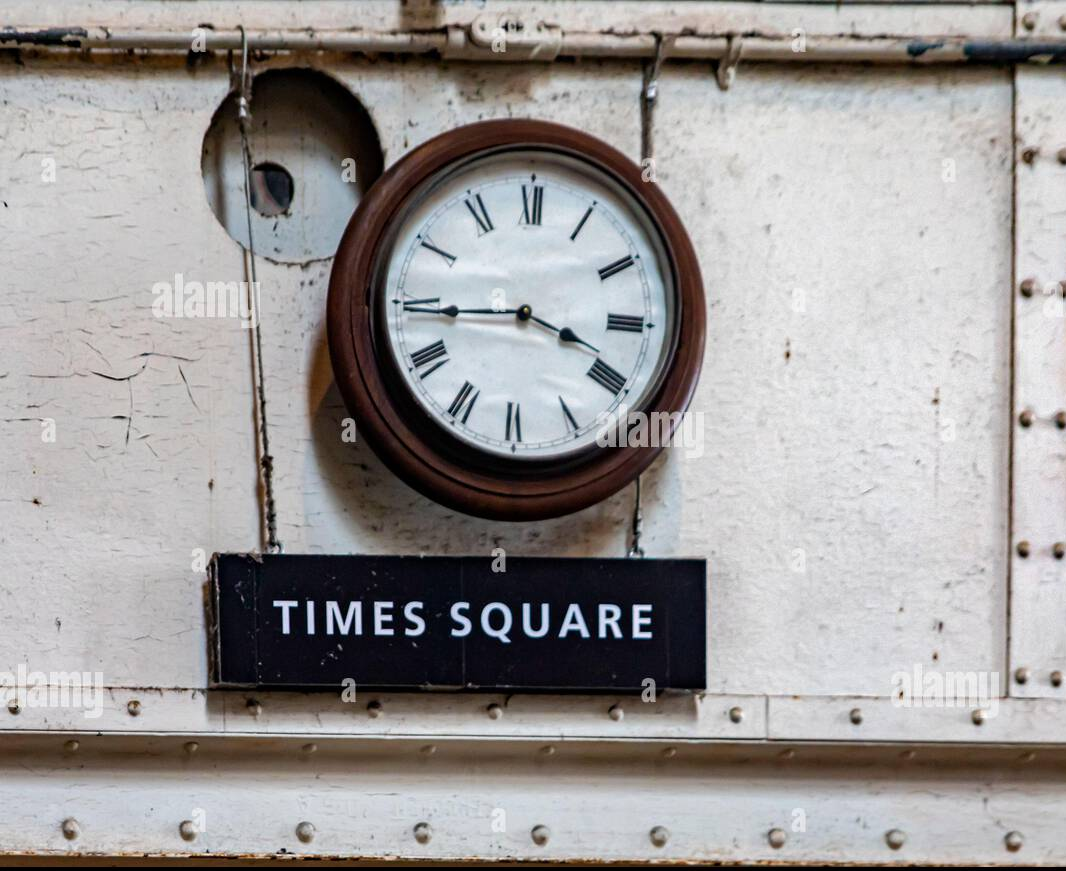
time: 3:44
